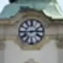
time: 2:44
